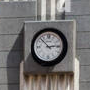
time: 2:52
